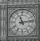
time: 11:13
